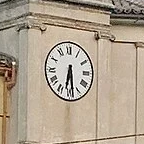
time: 6:28
